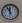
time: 11:55
